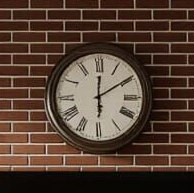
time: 12:09
